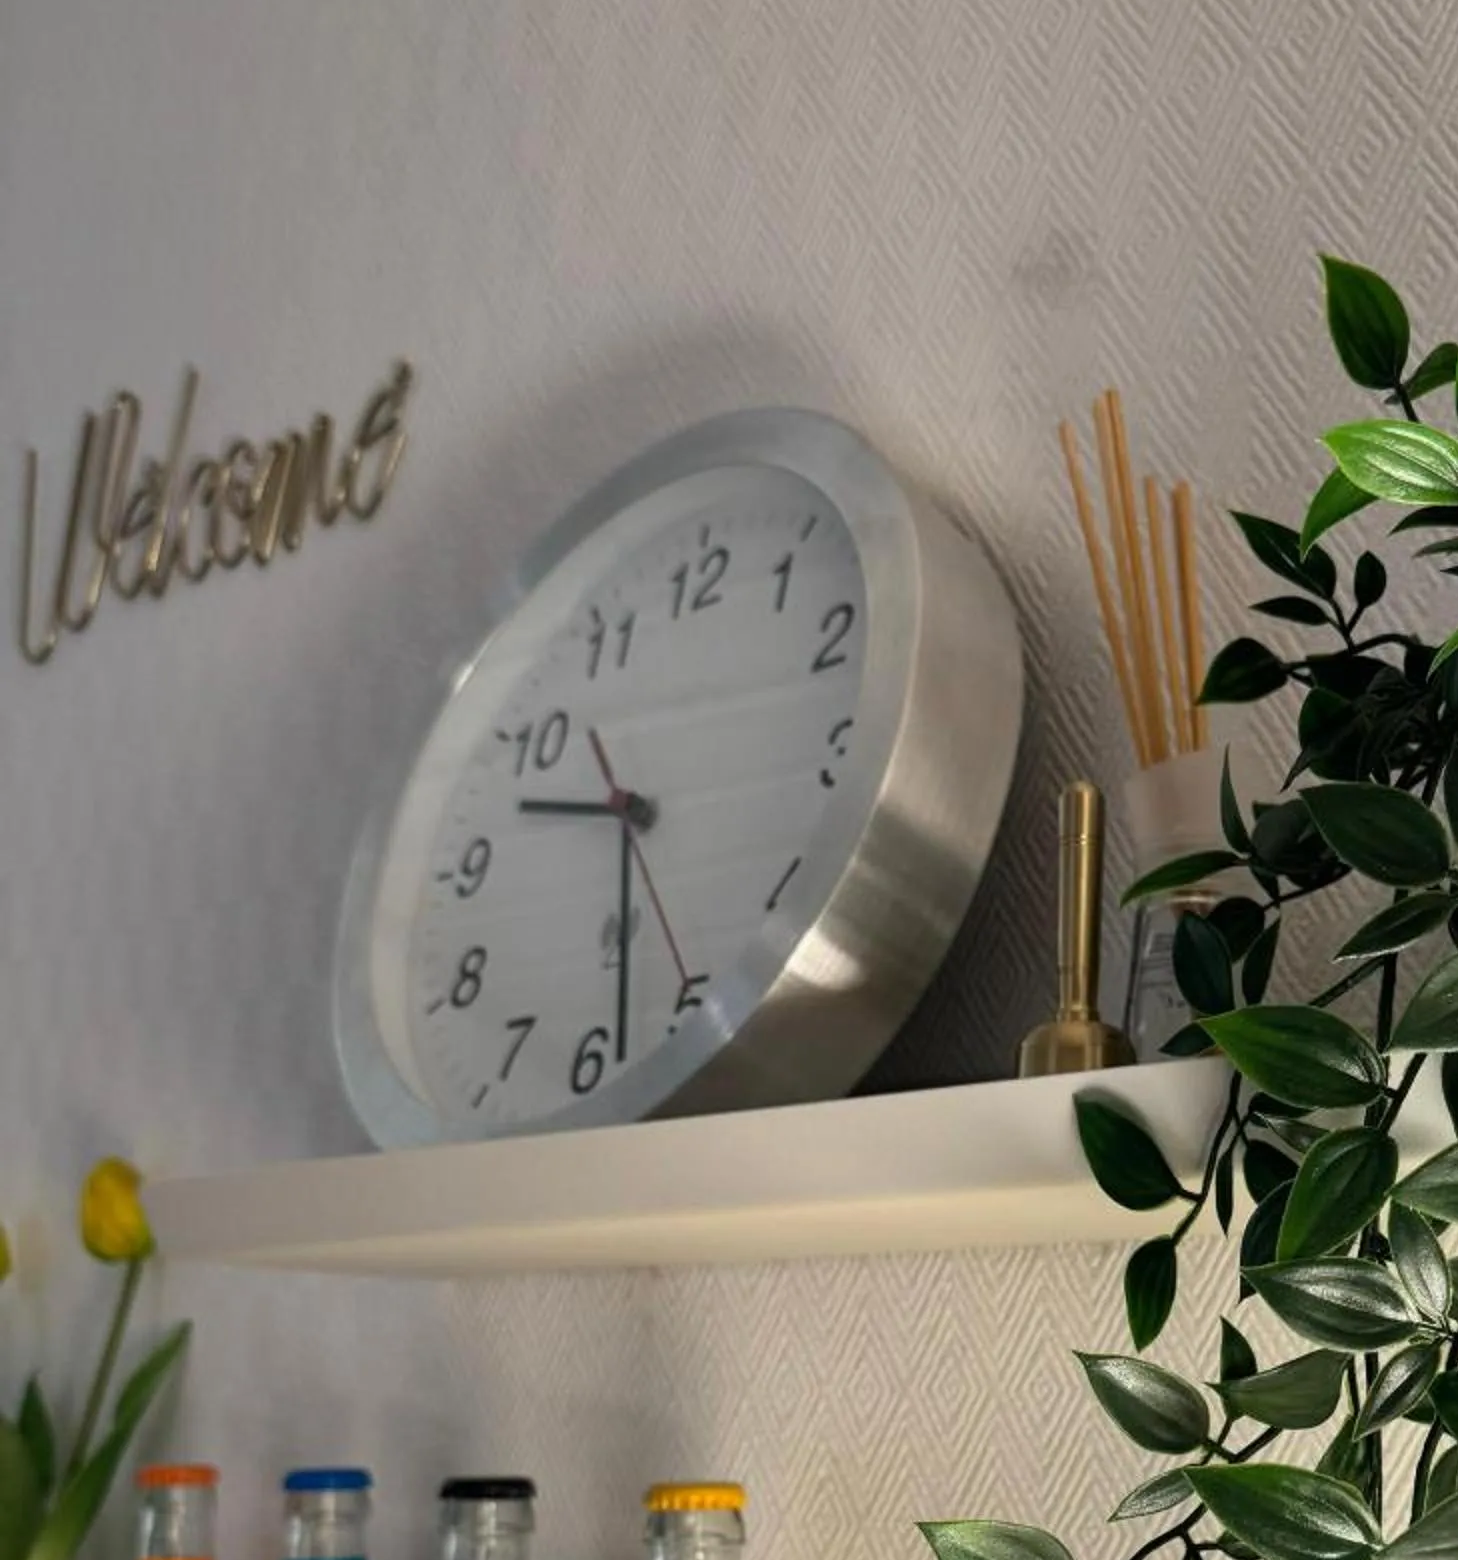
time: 9:28
